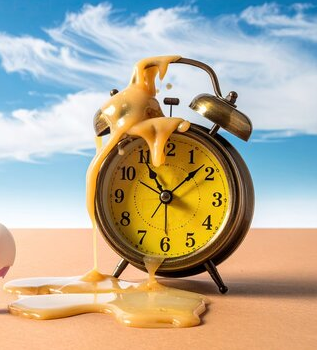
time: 11:08
